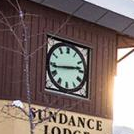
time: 2:43
